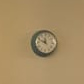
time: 11:48
